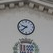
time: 9:38
